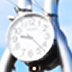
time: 9:22
